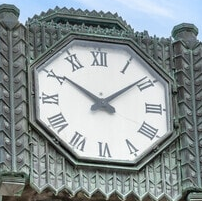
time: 10:08
